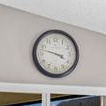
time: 3:47
